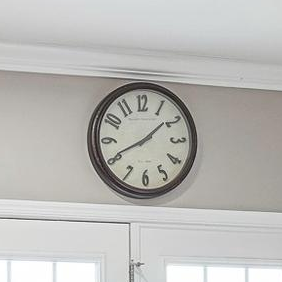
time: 1:40
